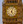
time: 5:03
